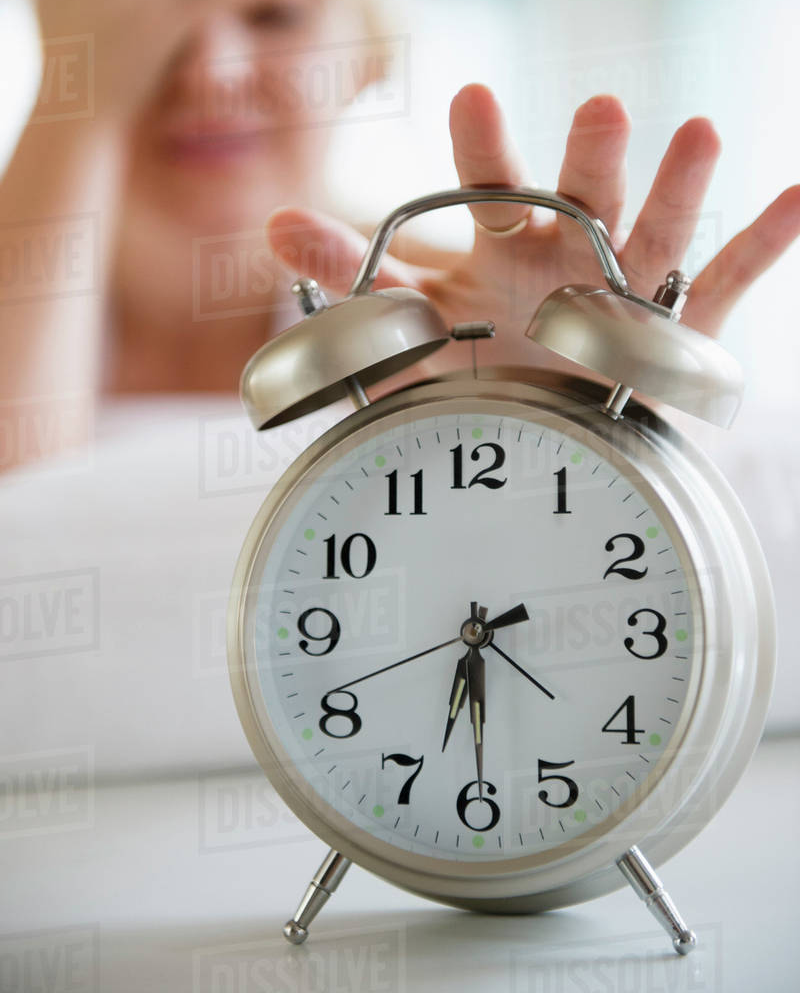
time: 6:29
